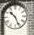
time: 10:26
